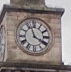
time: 3:57
